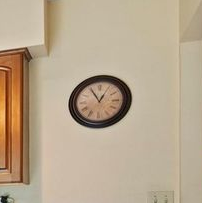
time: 12:55
